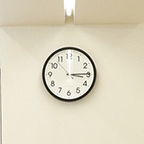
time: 3:14
